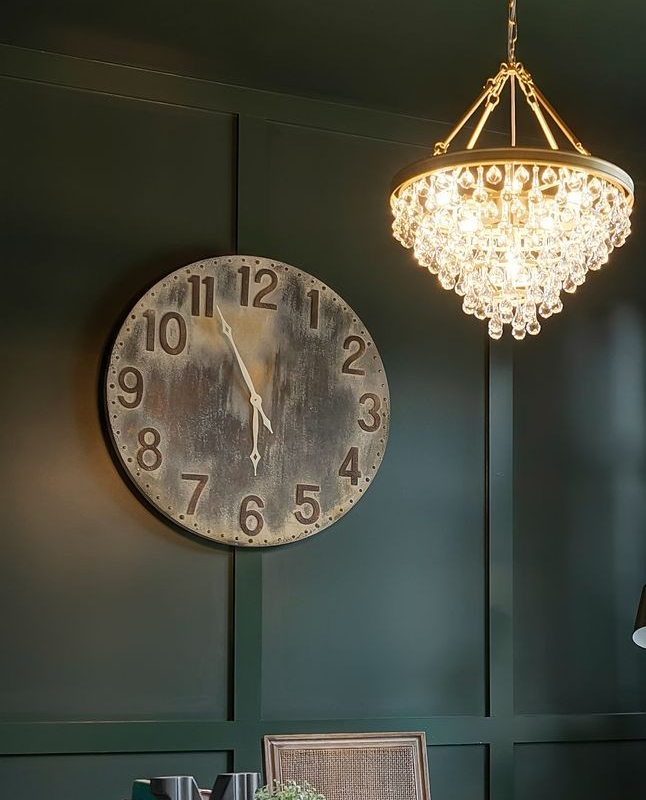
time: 5:55
